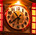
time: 10:38
